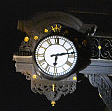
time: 6:13
